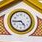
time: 4:44
